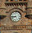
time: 8:45
